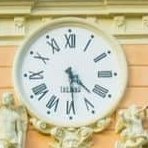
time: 4:29
